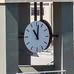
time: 11:01
